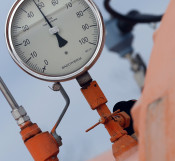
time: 4:54
